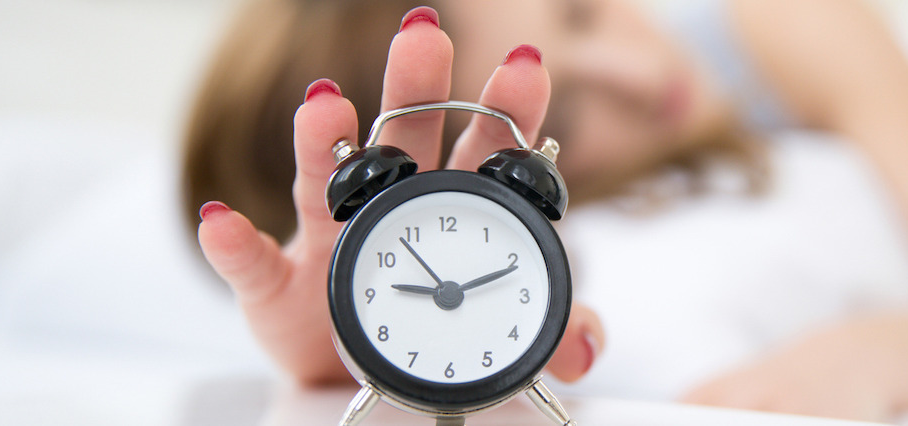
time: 9:11
